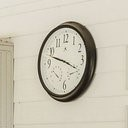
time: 3:47
